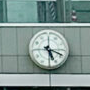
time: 5:18
